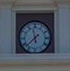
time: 11:37
